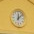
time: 12:07
